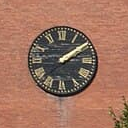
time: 2:09
